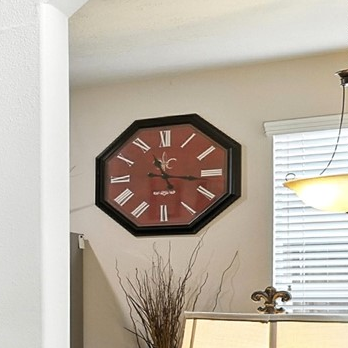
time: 11:16
